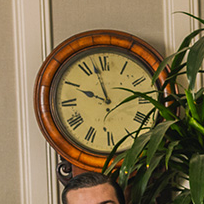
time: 9:57
